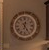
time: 12:24
